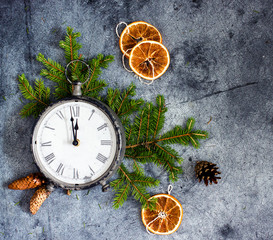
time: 11:58
